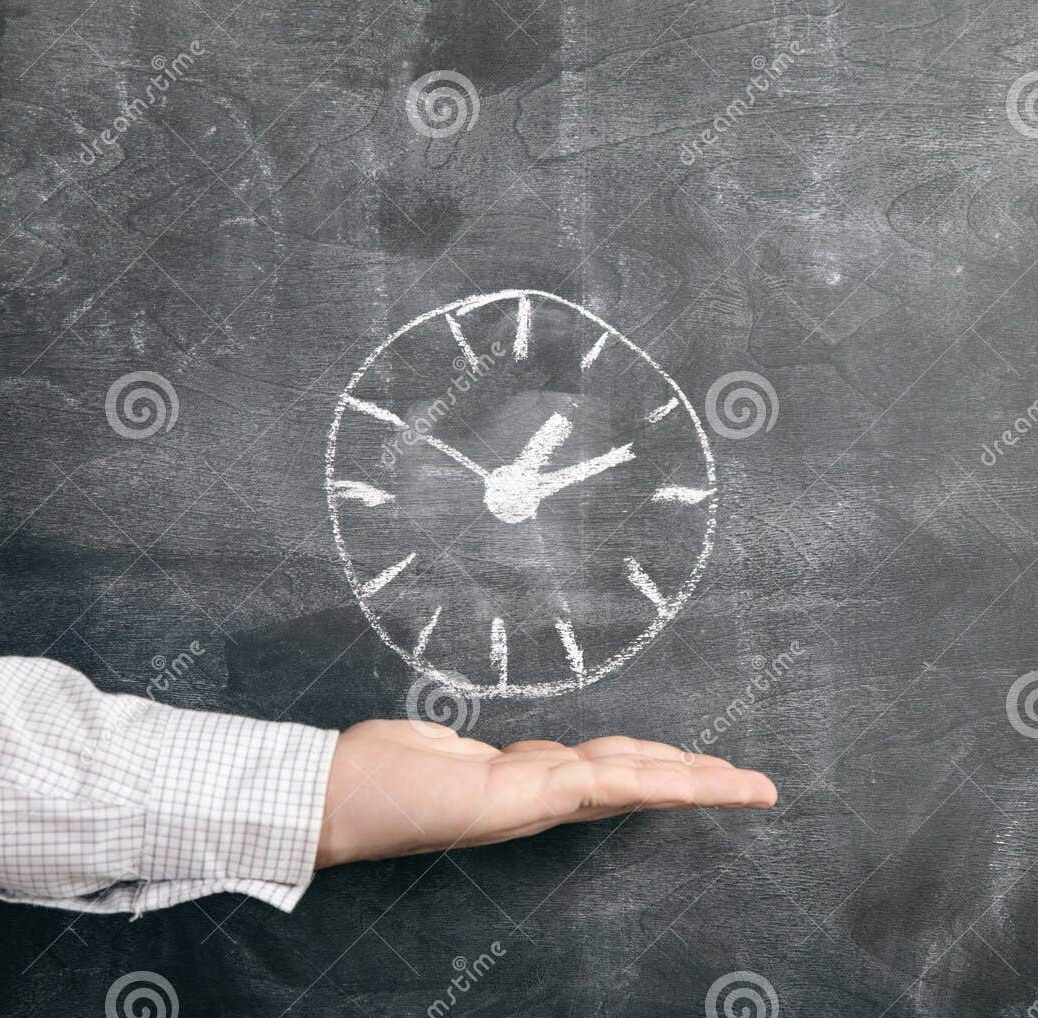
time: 1:11
